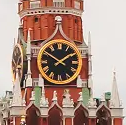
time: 1:50
